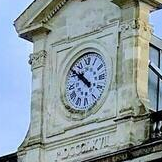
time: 10:51
